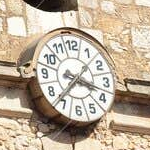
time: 3:37
